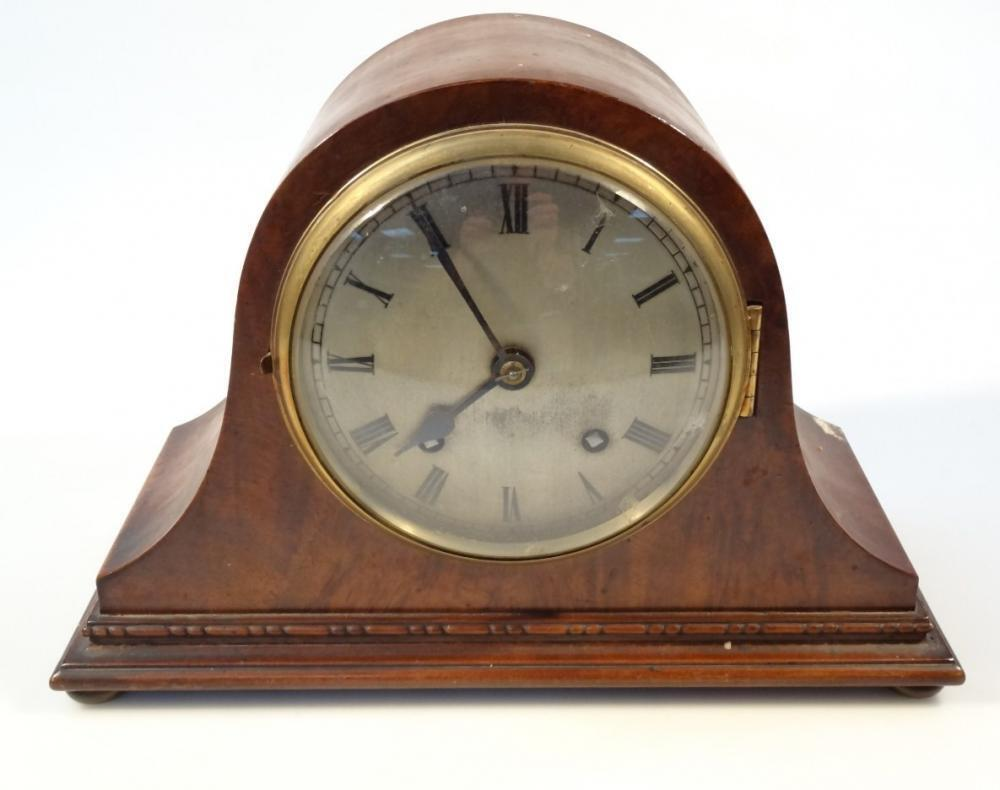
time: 7:55
